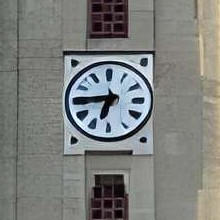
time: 6:44
